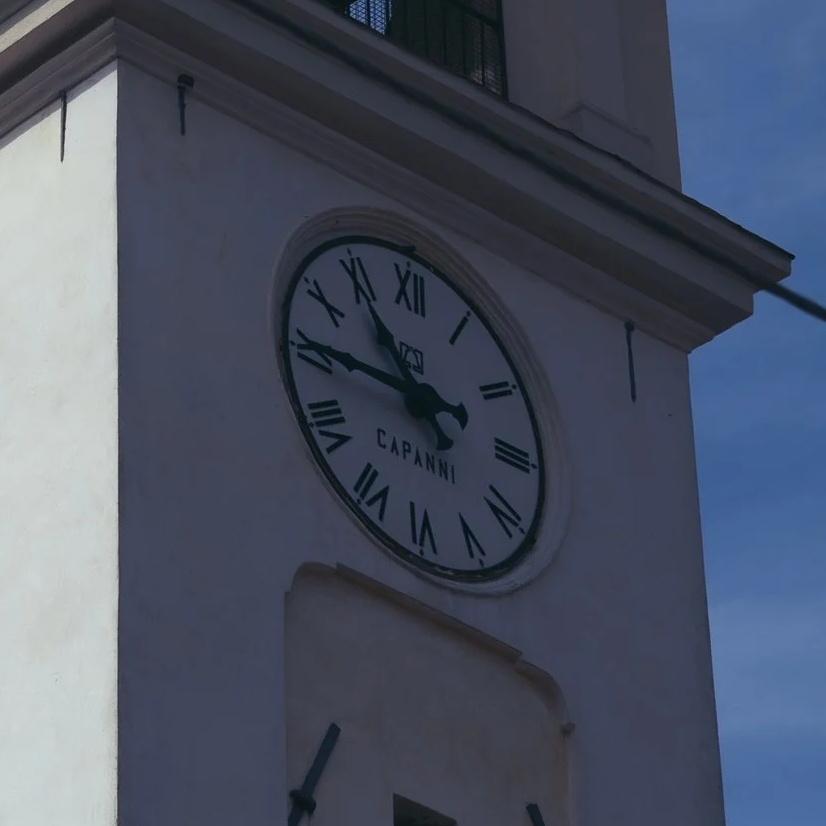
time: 10:45
